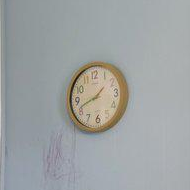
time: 1:41
